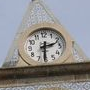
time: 2:30
